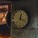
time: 12:18
